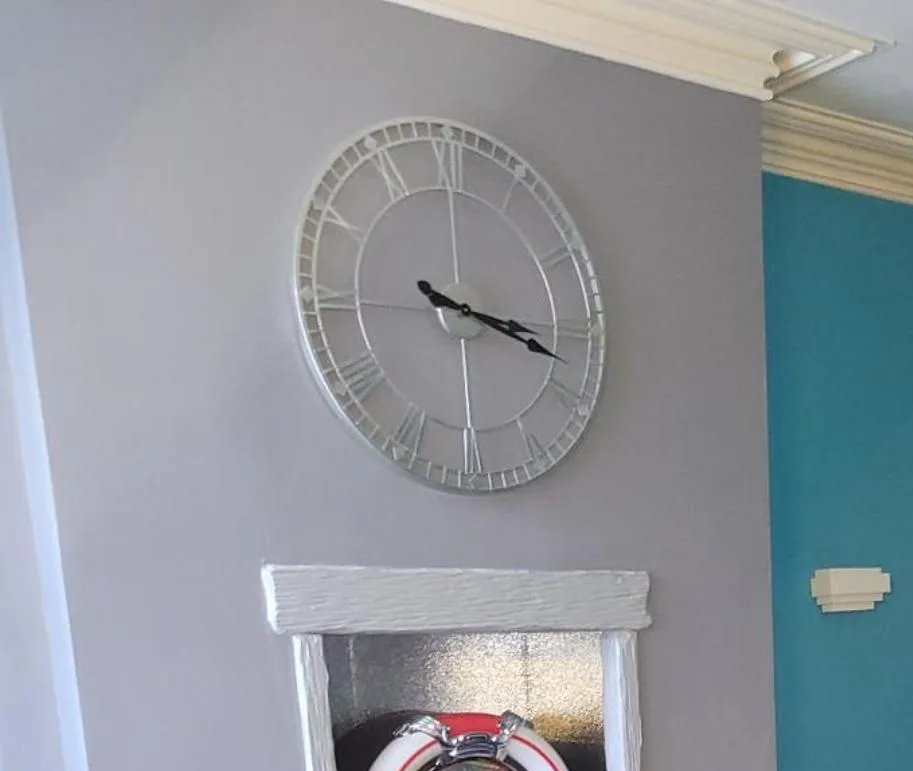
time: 3:17
